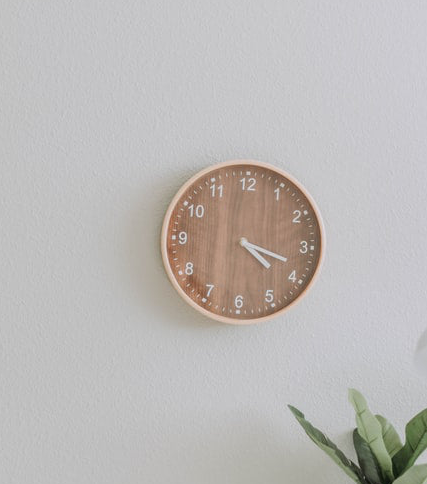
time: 4:18
